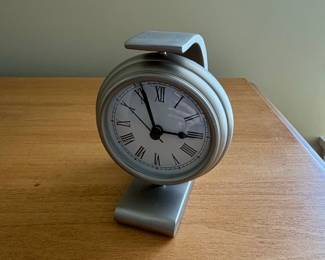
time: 2:56
